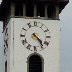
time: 4:23
